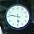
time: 5:46
